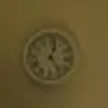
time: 12:24
